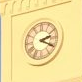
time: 2:19
